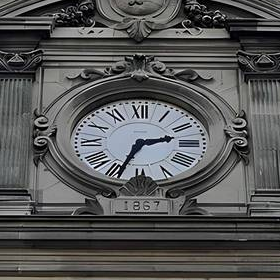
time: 2:33
